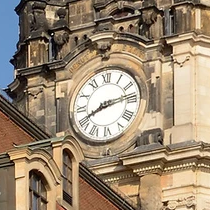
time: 8:13
